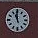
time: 10:59
